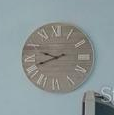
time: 9:41
